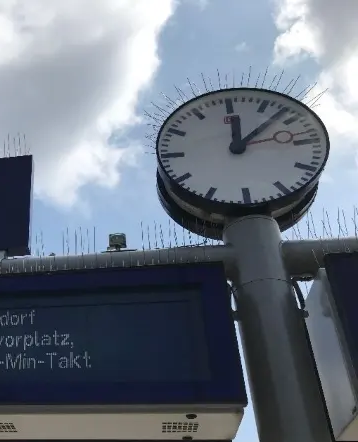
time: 12:07
